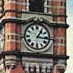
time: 1:16
